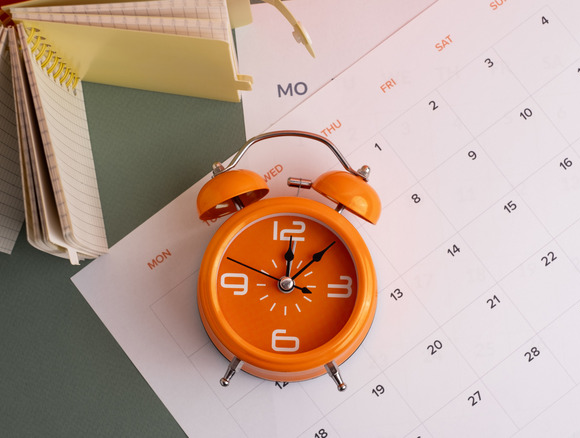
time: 12:08
